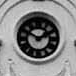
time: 1:47
